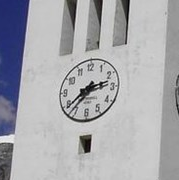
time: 2:38
